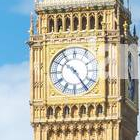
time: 10:24
